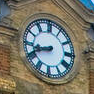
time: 8:41
